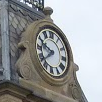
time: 9:38
